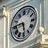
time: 5:45
